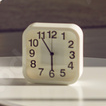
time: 5:54
